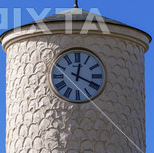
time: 12:19
